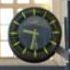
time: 9:32
